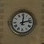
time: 12:12
